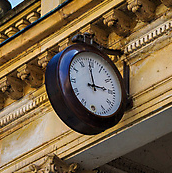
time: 2:59
